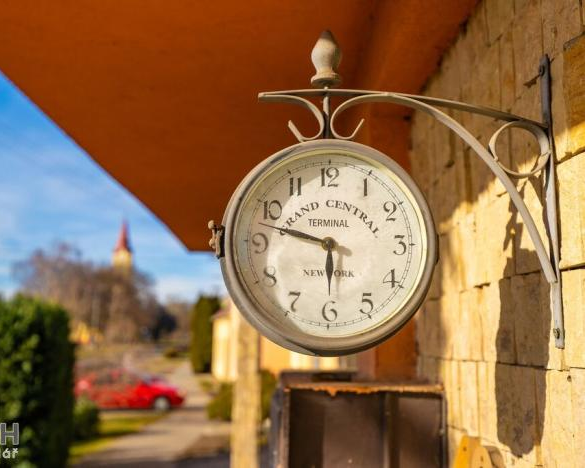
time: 5:47
